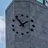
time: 1:53
